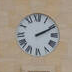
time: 2:10
